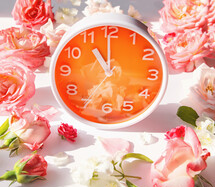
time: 10:59
